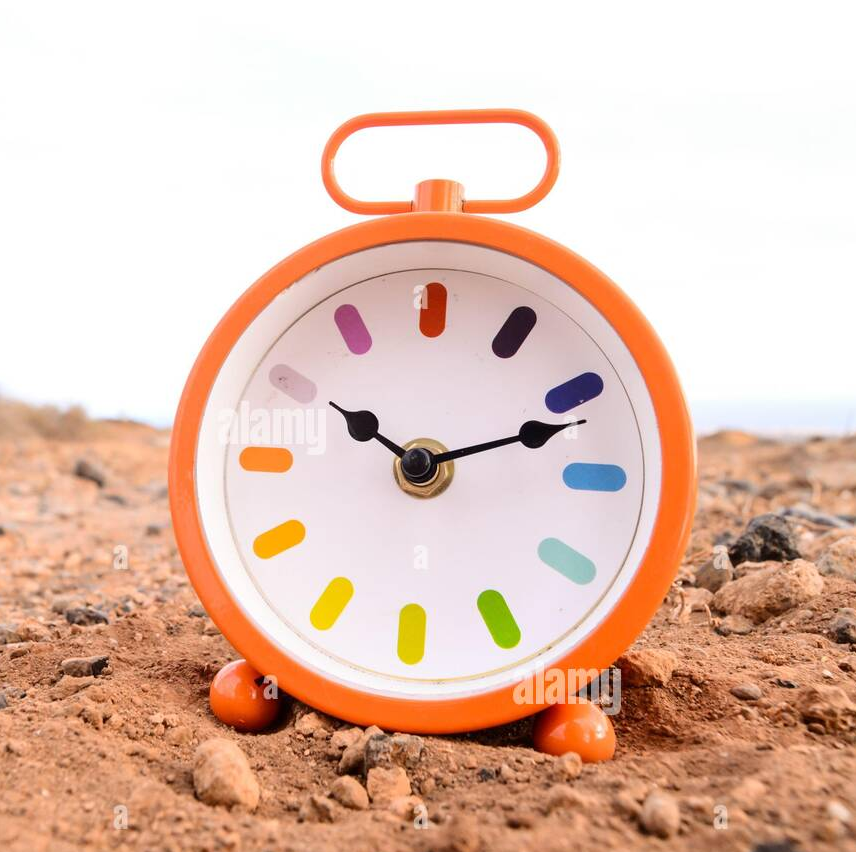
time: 10:11
